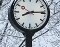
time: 8:14
